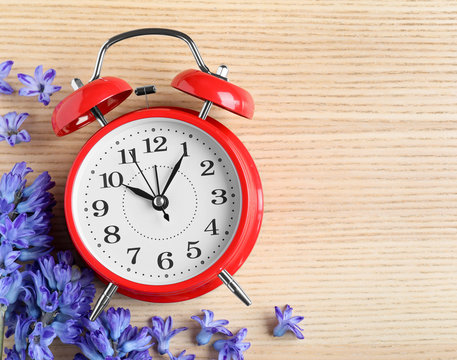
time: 10:05
